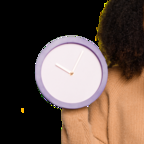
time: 10:04
